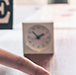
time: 1:52
